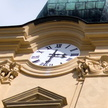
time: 3:33
